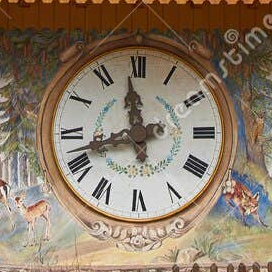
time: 11:42
